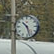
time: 10:26
